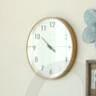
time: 9:51
